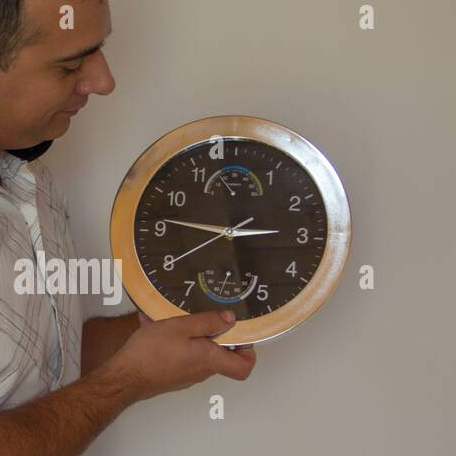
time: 2:46
